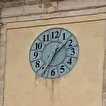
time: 1:34
